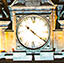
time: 10:21
